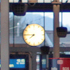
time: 7:45
